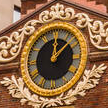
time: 12:07
